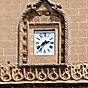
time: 2:38
